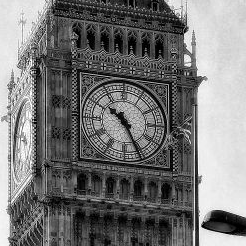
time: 10:25
